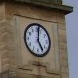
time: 5:01
